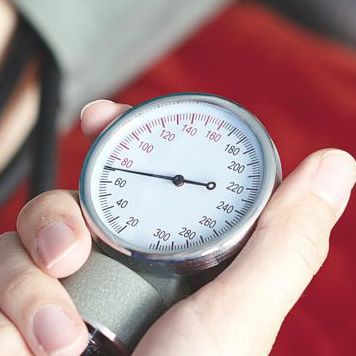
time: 2:46
